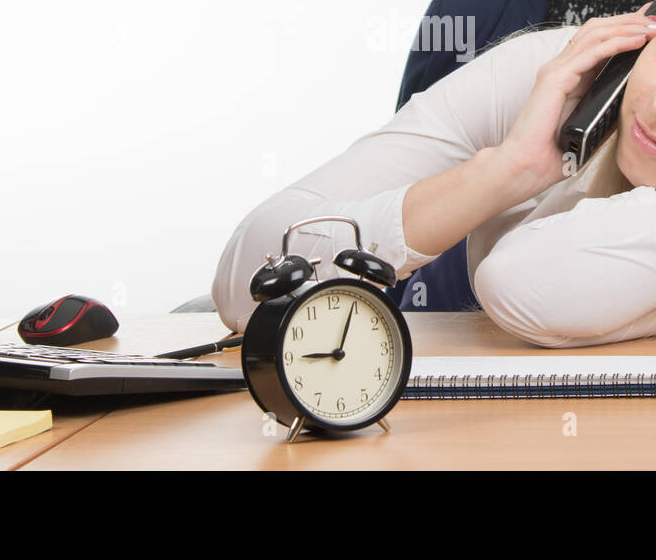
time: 9:04
